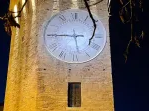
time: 5:45
